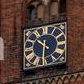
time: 10:31
